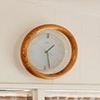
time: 1:27
